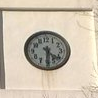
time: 4:30
